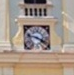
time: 3:47
